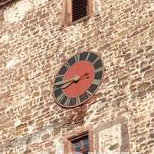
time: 7:42
